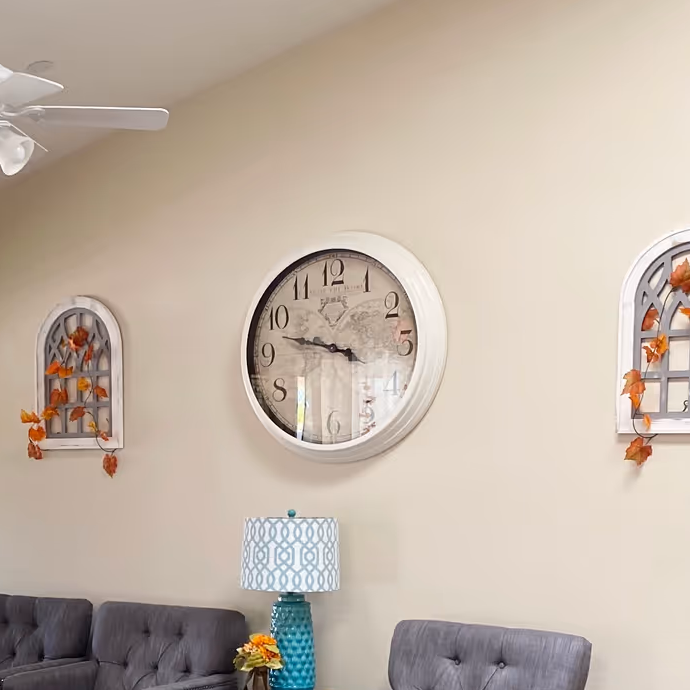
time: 9:47
